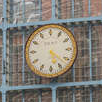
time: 5:21
